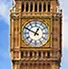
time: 12:49
